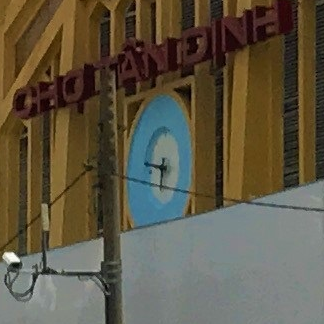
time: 6:46
